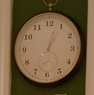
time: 1:03
